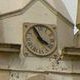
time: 3:55
